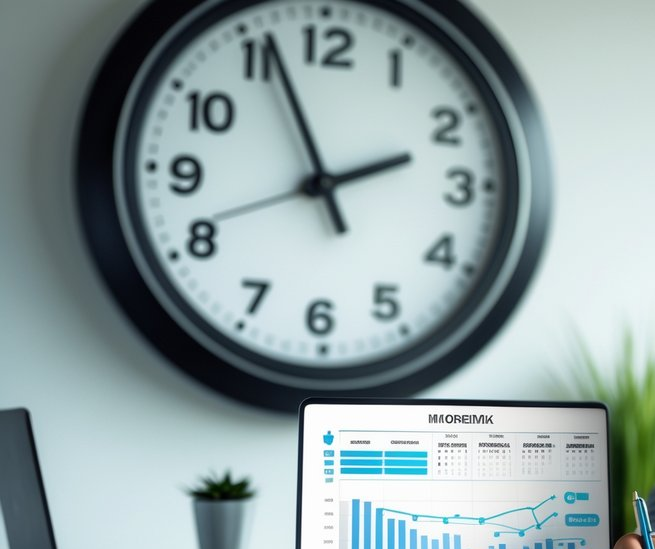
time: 1:56
